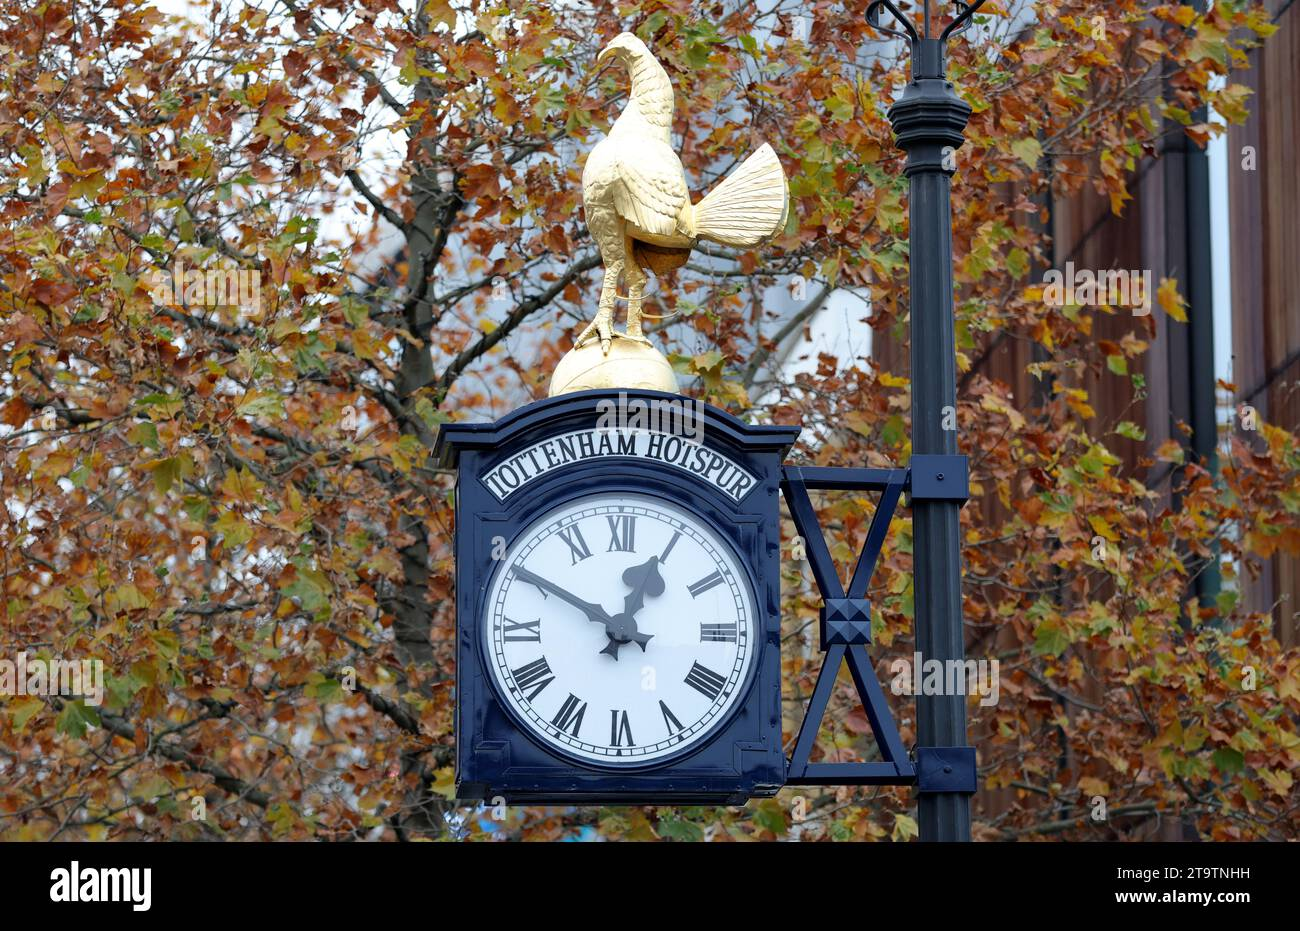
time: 12:49
